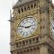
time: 2:48
